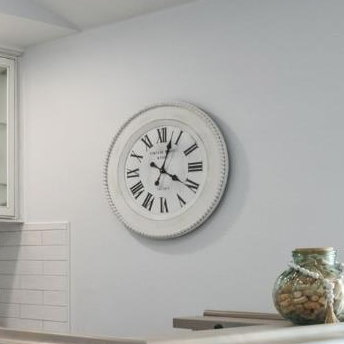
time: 4:03
